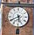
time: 5:40
